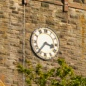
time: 3:36
